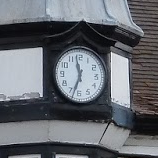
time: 11:33
